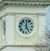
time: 5:00
